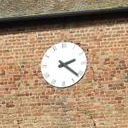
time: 2:21
